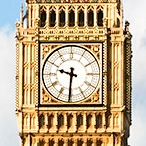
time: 9:31
